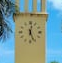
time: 12:26
